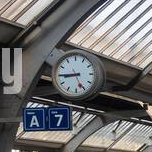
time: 8:44
